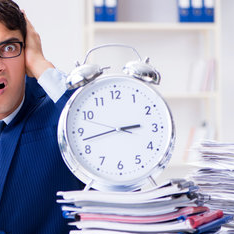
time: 2:42
